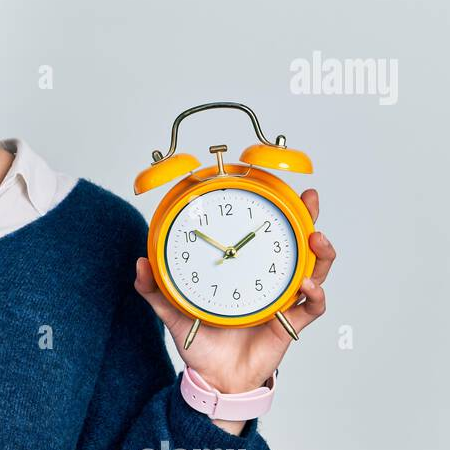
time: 1:51
